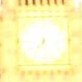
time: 7:36
